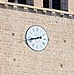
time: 2:42
